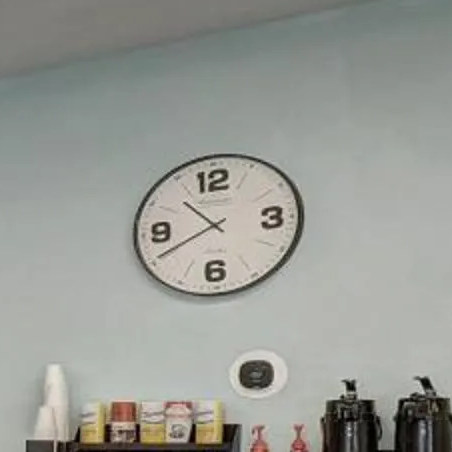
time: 10:40
